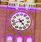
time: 4:41
